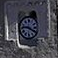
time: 9:20
